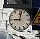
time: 9:01
